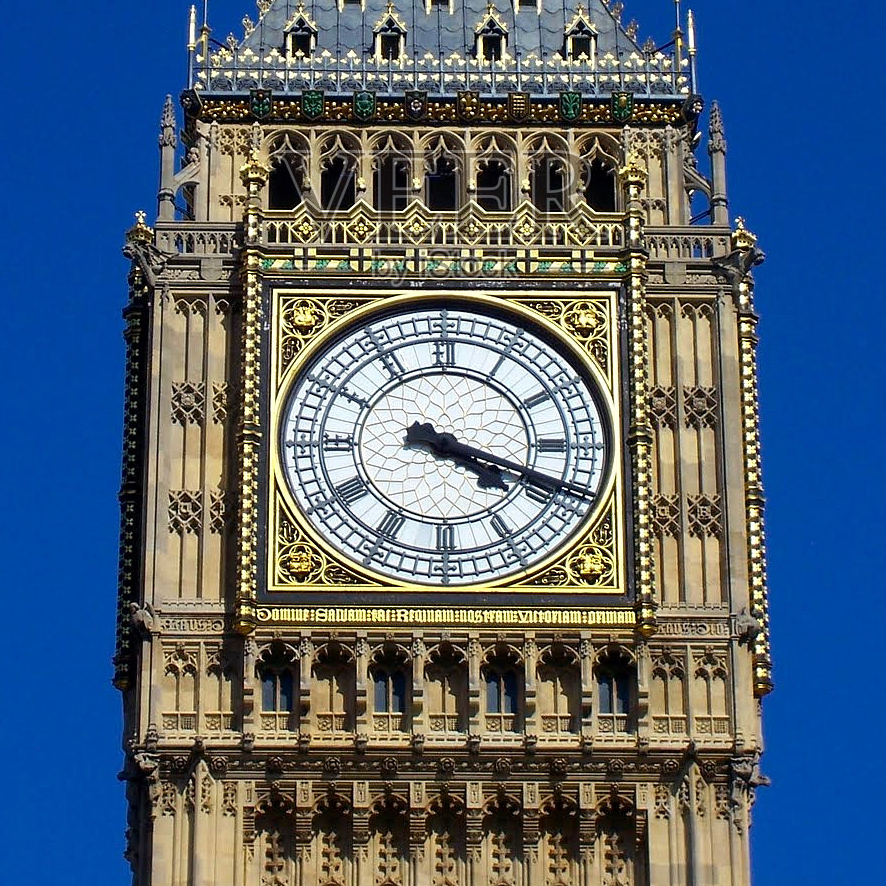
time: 4:18
